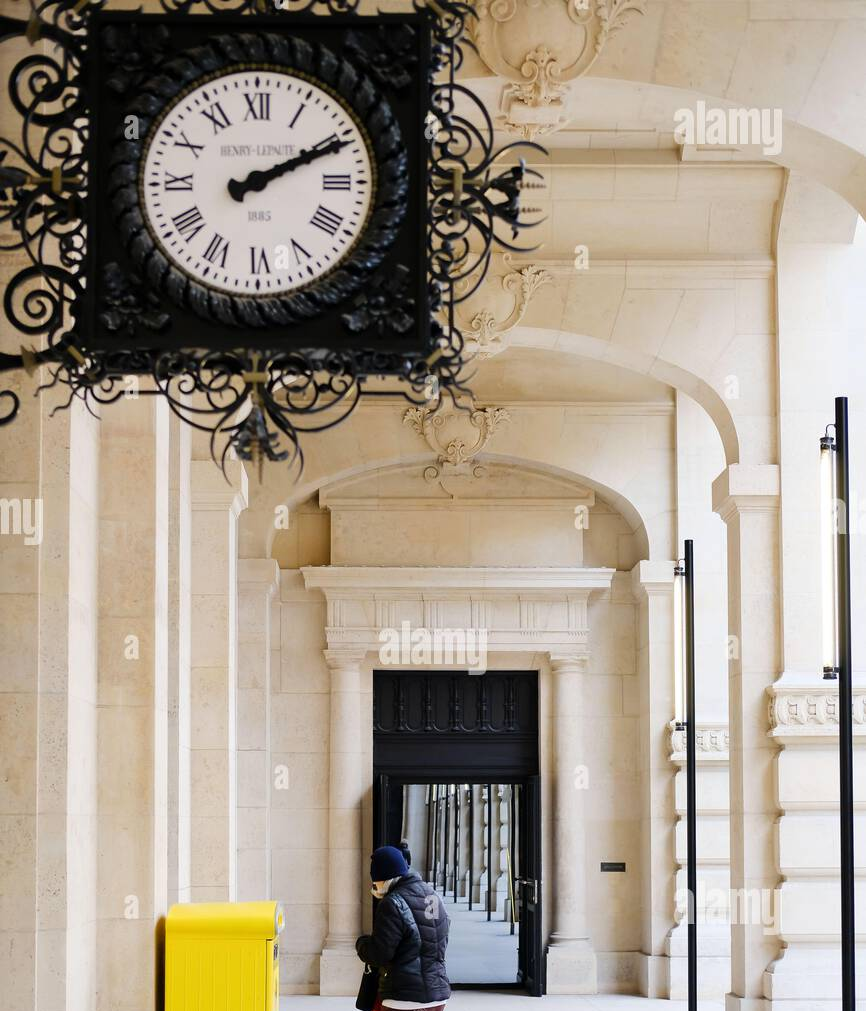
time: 2:10
